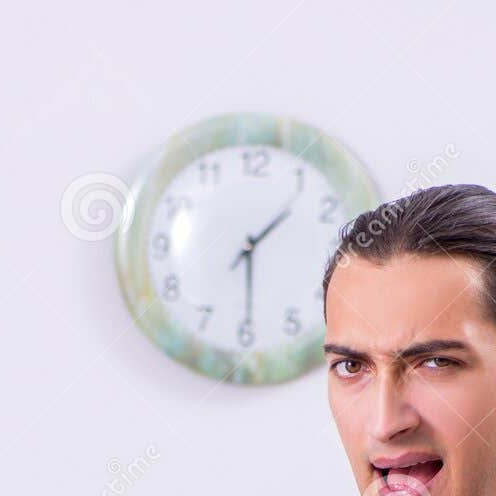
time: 1:29
